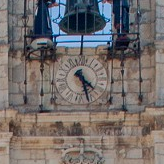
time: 4:27
